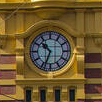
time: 10:33
